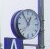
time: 12:54
